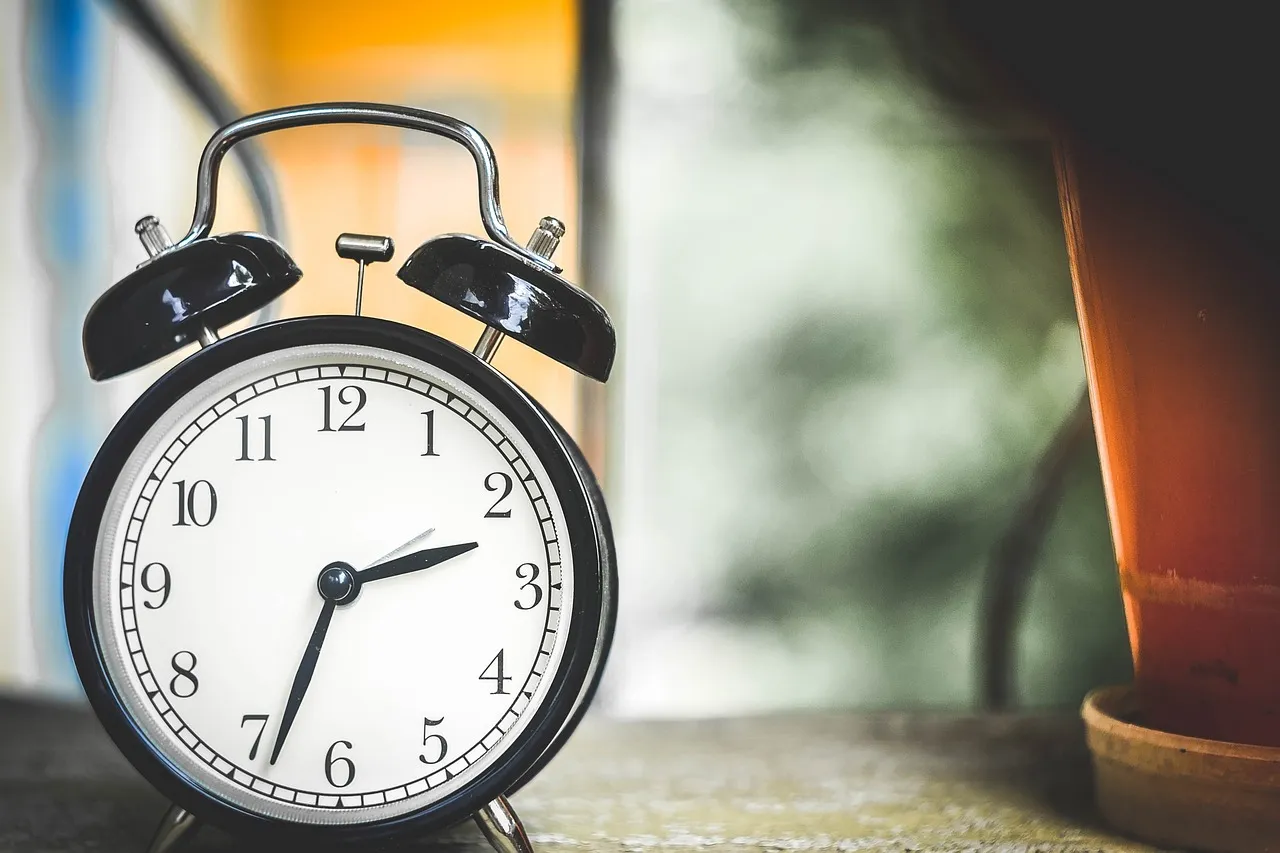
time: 2:33
